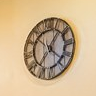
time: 1:22
